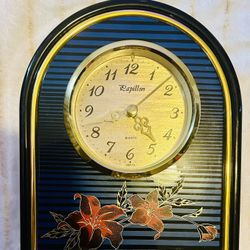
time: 4:08
